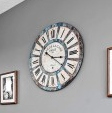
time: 3:22
